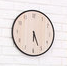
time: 6:26
